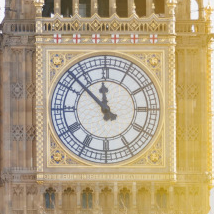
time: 11:52
